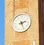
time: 2:26
